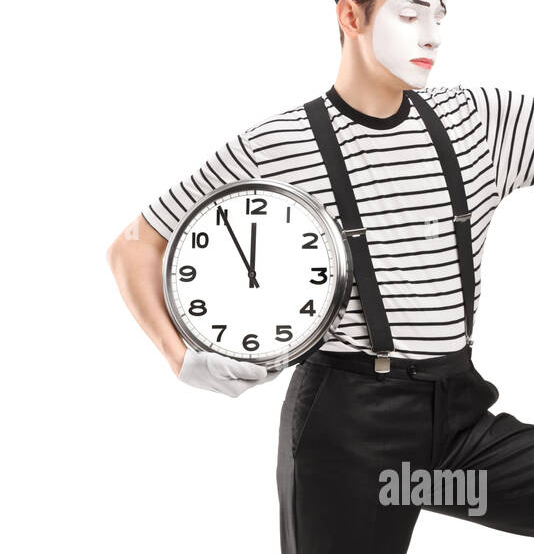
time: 11:55
